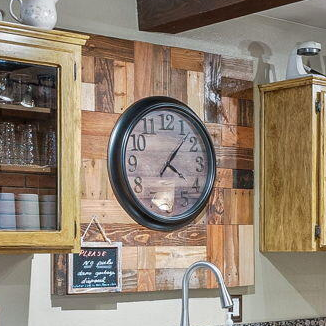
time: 4:07
